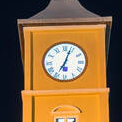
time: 7:03
